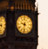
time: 9:32
